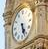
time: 5:26
